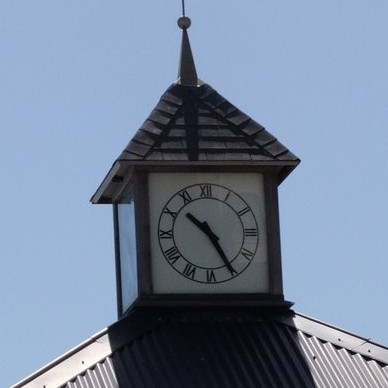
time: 10:24
